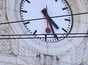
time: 4:26
